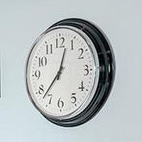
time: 12:37
